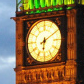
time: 6:10
